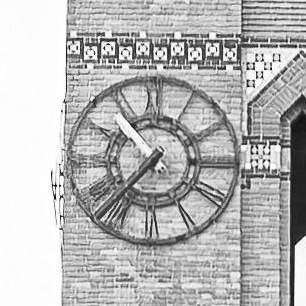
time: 10:36
